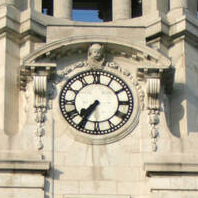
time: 7:35
